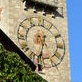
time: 6:32
